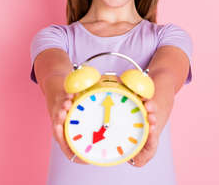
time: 7:00
